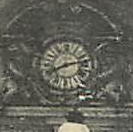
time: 8:12
